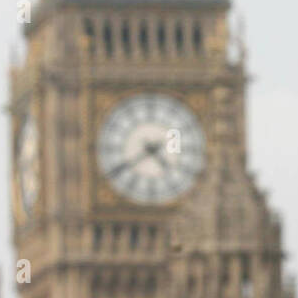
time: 4:39
